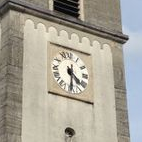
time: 4:29
